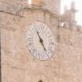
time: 5:26
